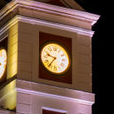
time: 9:36
